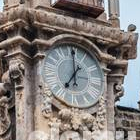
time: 7:00
